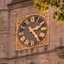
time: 2:23
